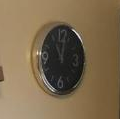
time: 11:02
